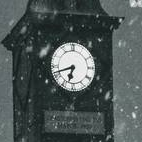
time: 6:41
